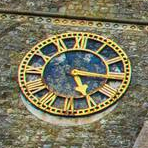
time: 5:15
